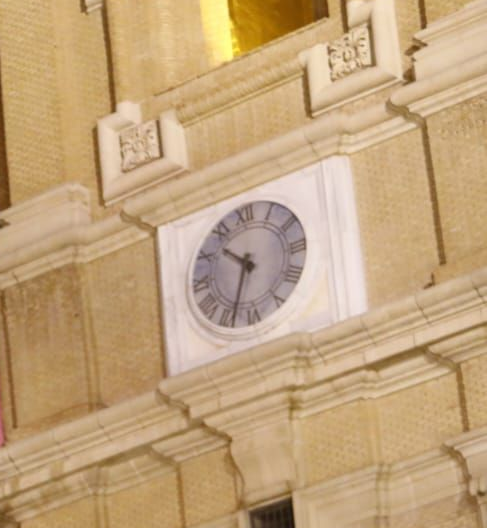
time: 10:34
